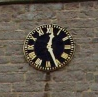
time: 12:26
